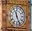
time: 11:25
